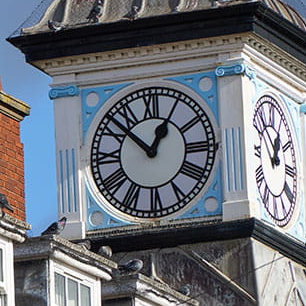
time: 12:52
